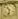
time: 10:32
